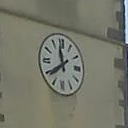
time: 11:39
